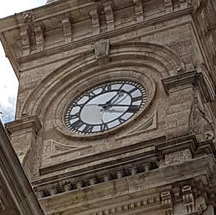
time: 1:18
